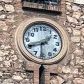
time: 1:41
